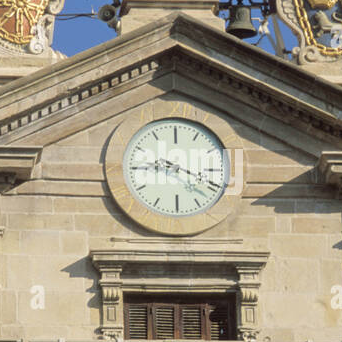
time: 3:45
